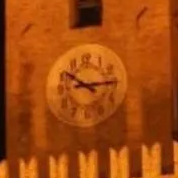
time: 10:14
